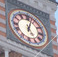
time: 5:02
